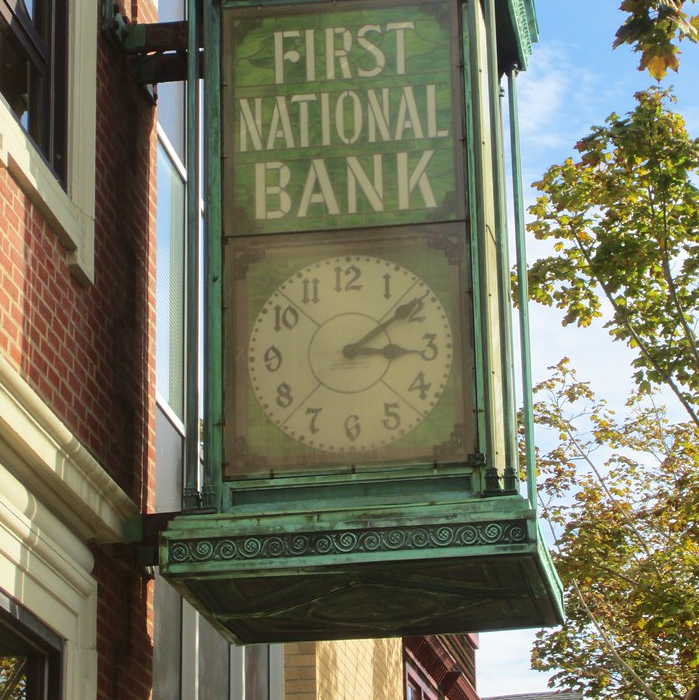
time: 3:09
